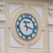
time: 11:17
